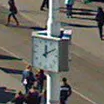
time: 12:09
